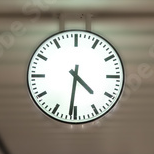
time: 4:31
